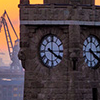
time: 4:00
